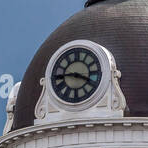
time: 3:43
